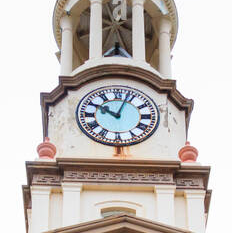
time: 10:03
